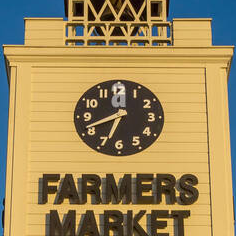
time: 6:41
